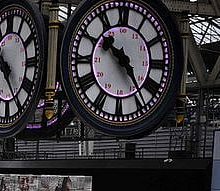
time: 10:24
